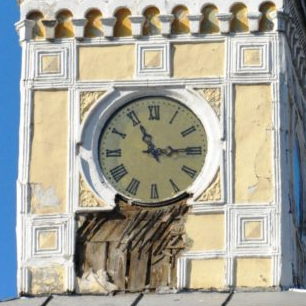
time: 11:14
